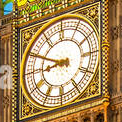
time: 8:49
